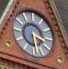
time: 3:28
